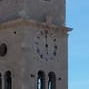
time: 5:59
